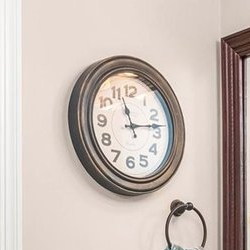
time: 11:13
